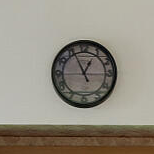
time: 12:56
